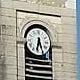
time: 6:26
